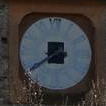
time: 7:39
